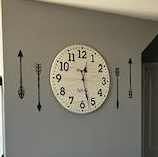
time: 12:27
